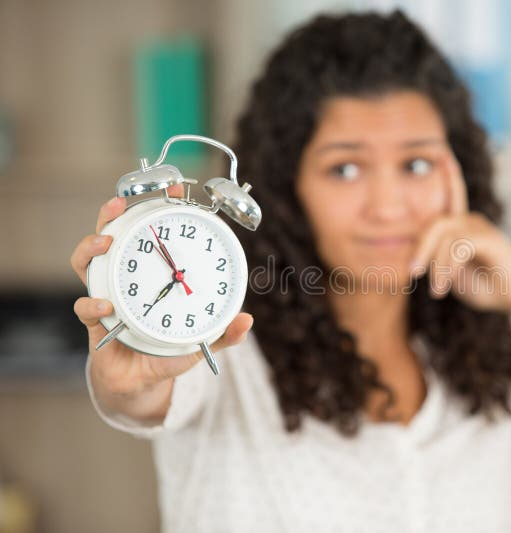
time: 6:53
